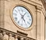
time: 5:05
